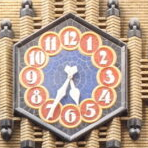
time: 5:34
